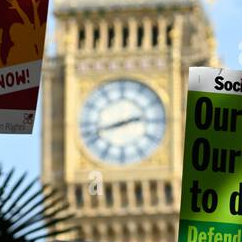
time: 2:42
